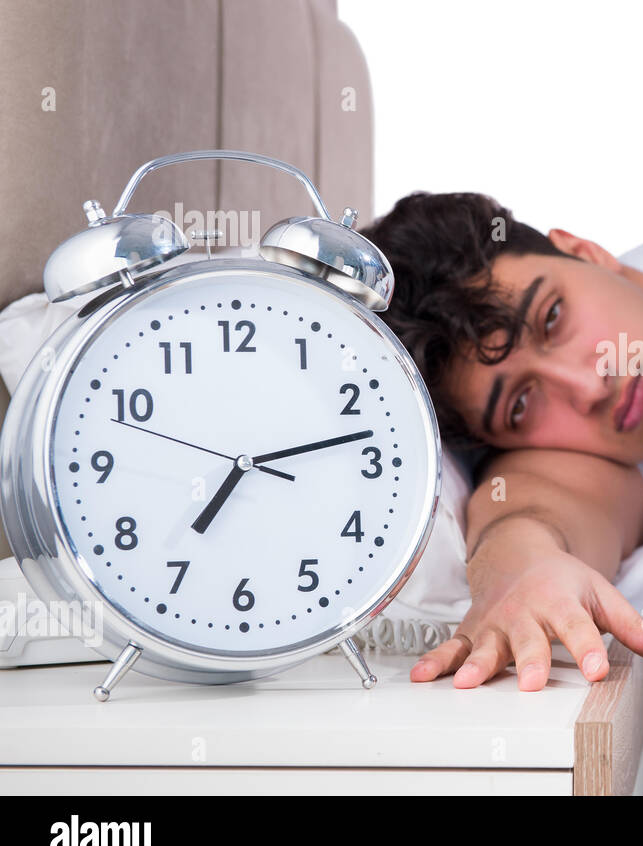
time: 7:12
